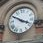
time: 3:50
